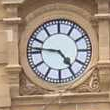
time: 4:46
